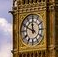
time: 11:49
